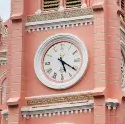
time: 5:20
